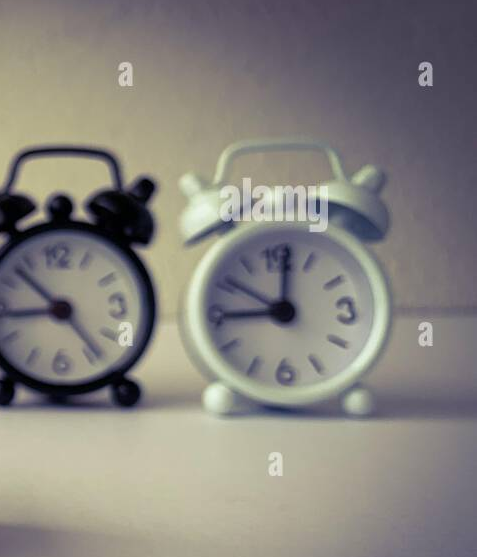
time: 9:01
